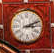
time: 3:11
